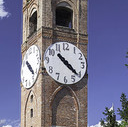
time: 10:21
